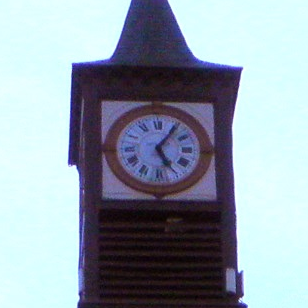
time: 5:05
